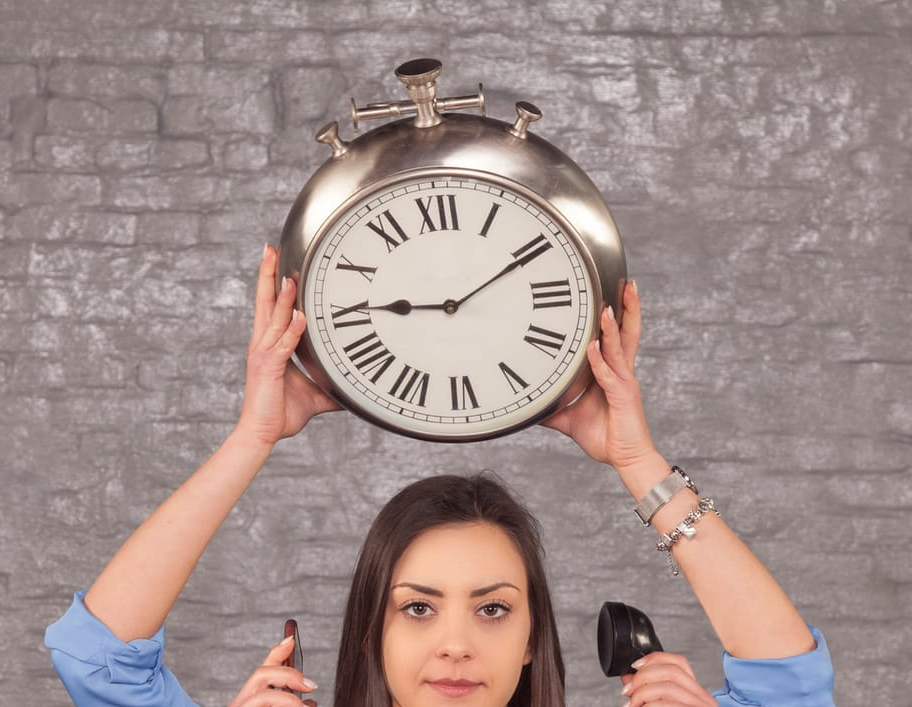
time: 9:10
